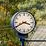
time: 3:40
